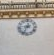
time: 8:33
